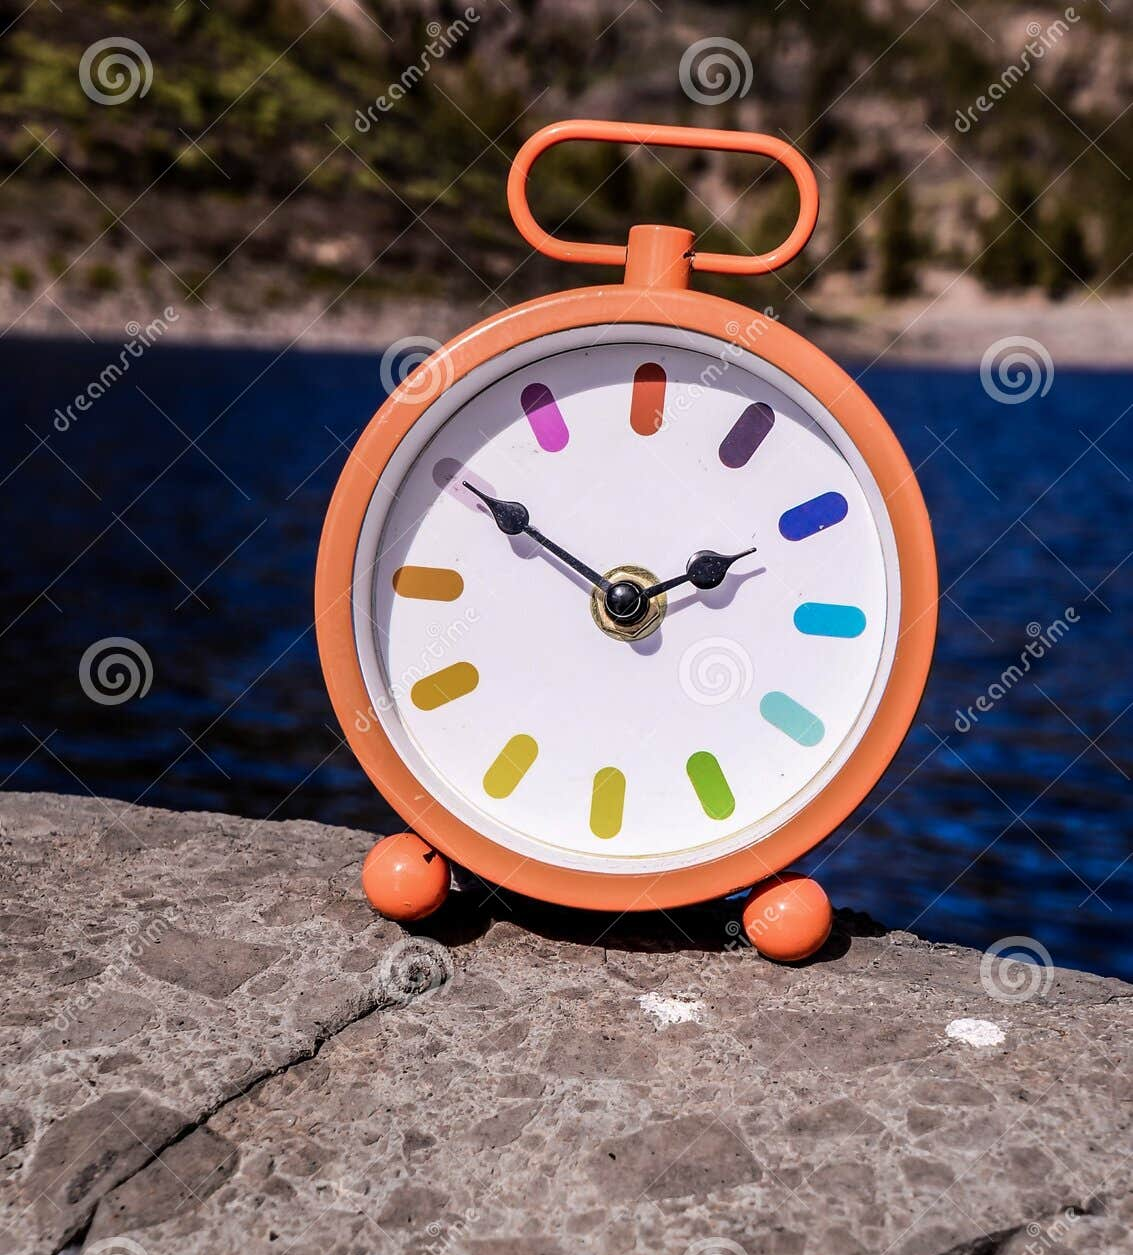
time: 1:50
